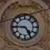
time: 4:45
